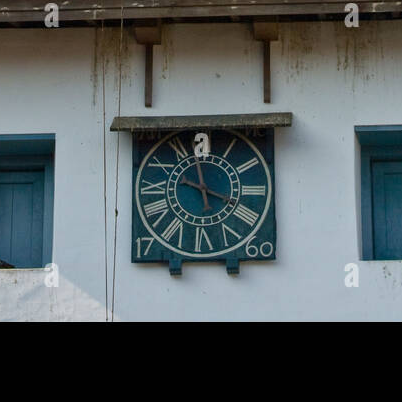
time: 3:58
